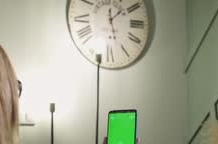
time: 1:28
